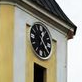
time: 12:23
